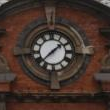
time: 1:37
